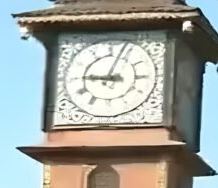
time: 9:03
